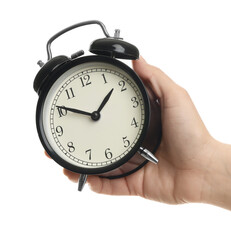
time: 1:50
